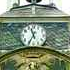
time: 11:35
